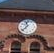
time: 11:37
